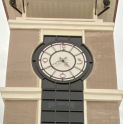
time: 4:39
